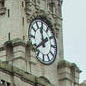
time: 11:38
